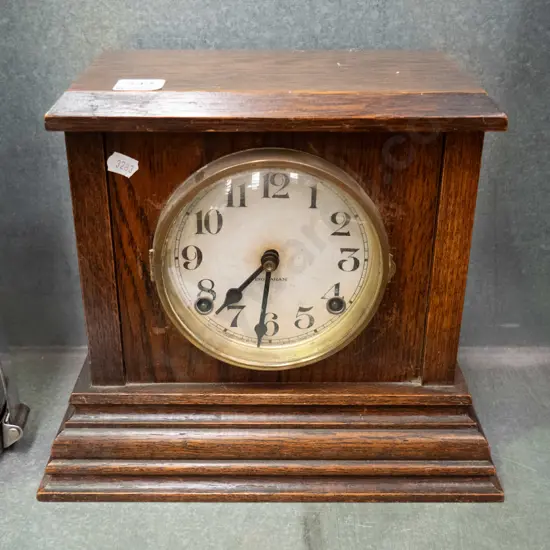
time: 7:31
